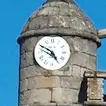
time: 4:49
